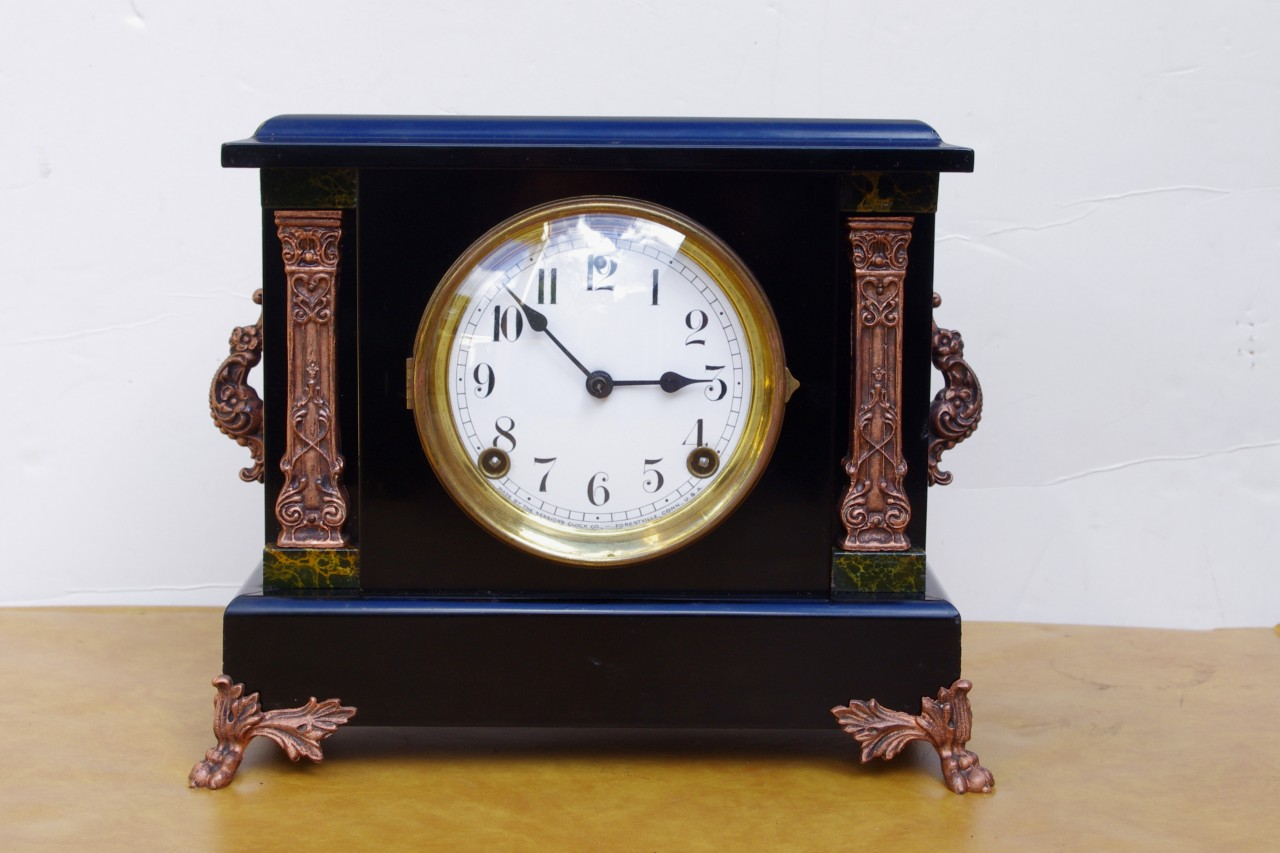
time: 2:52
